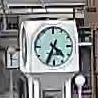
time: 4:34
